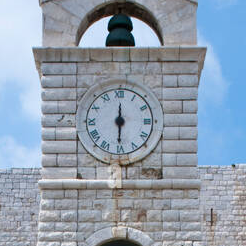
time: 6:00
